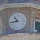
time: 10:43
